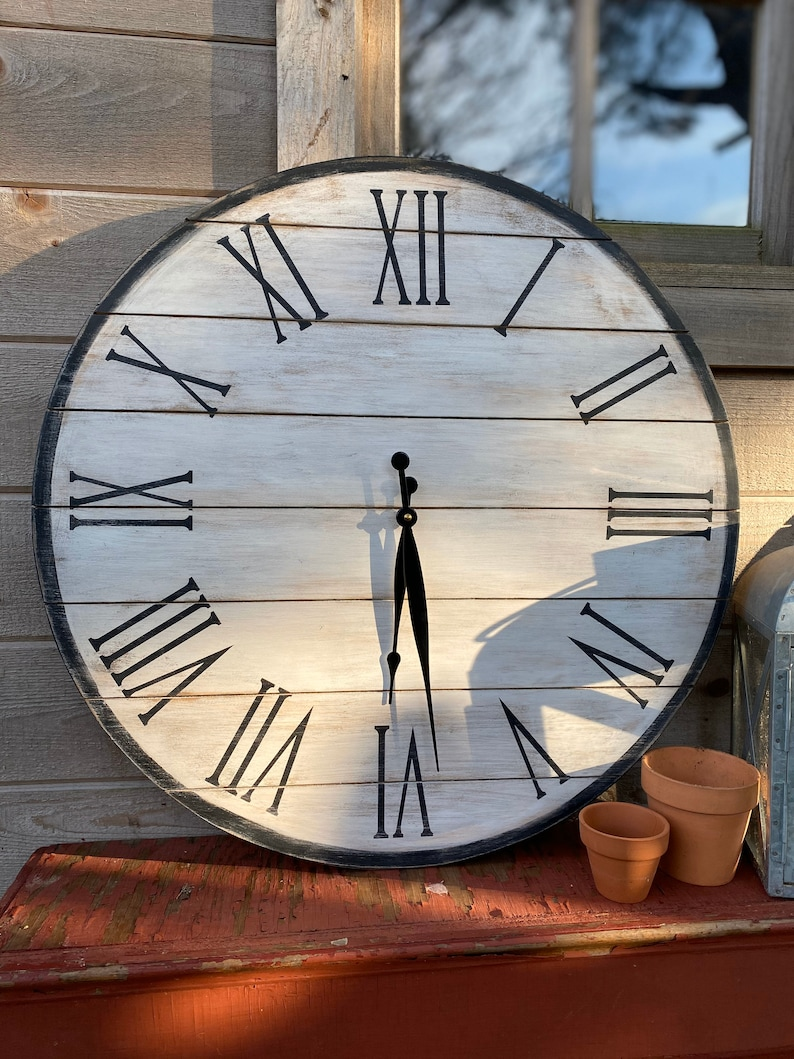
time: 5:29
